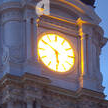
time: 5:50
